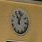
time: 11:03
